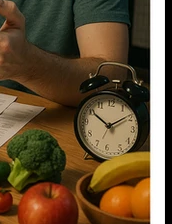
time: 10:09
